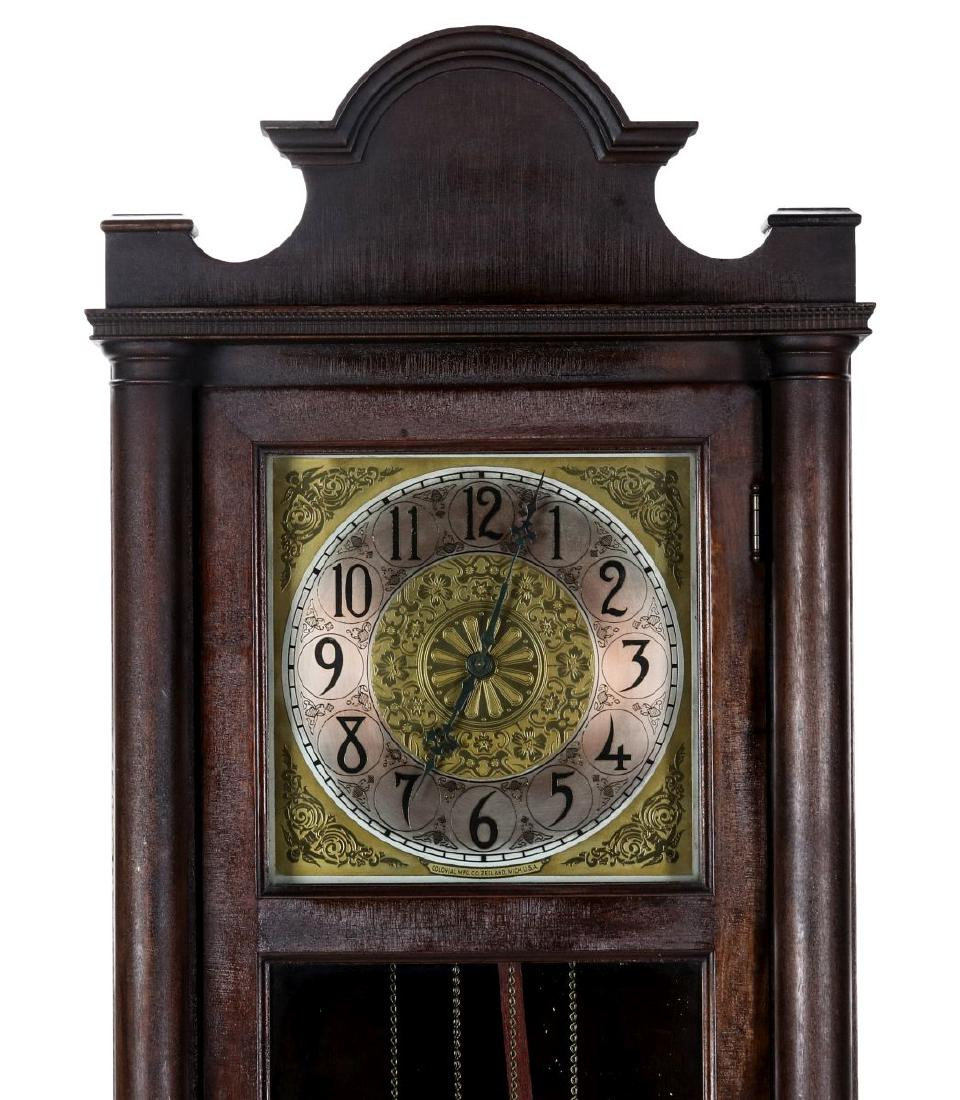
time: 7:03
